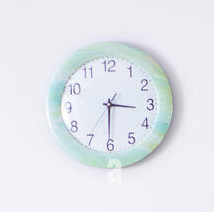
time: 3:30
